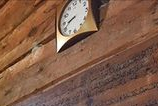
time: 8:41
